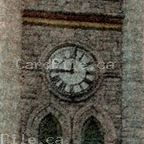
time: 9:01
